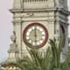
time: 5:59
